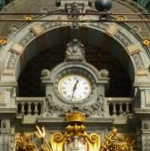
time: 12:32
